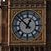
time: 12:52
